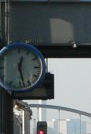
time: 12:27
